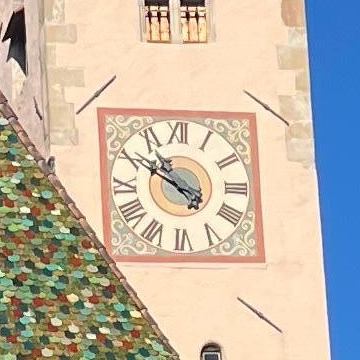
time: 10:50
